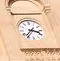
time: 3:37
